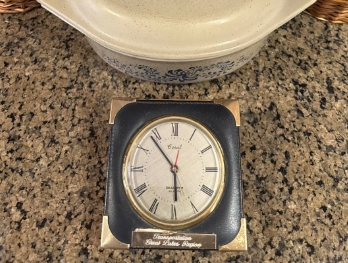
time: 5:53
